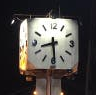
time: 8:29
